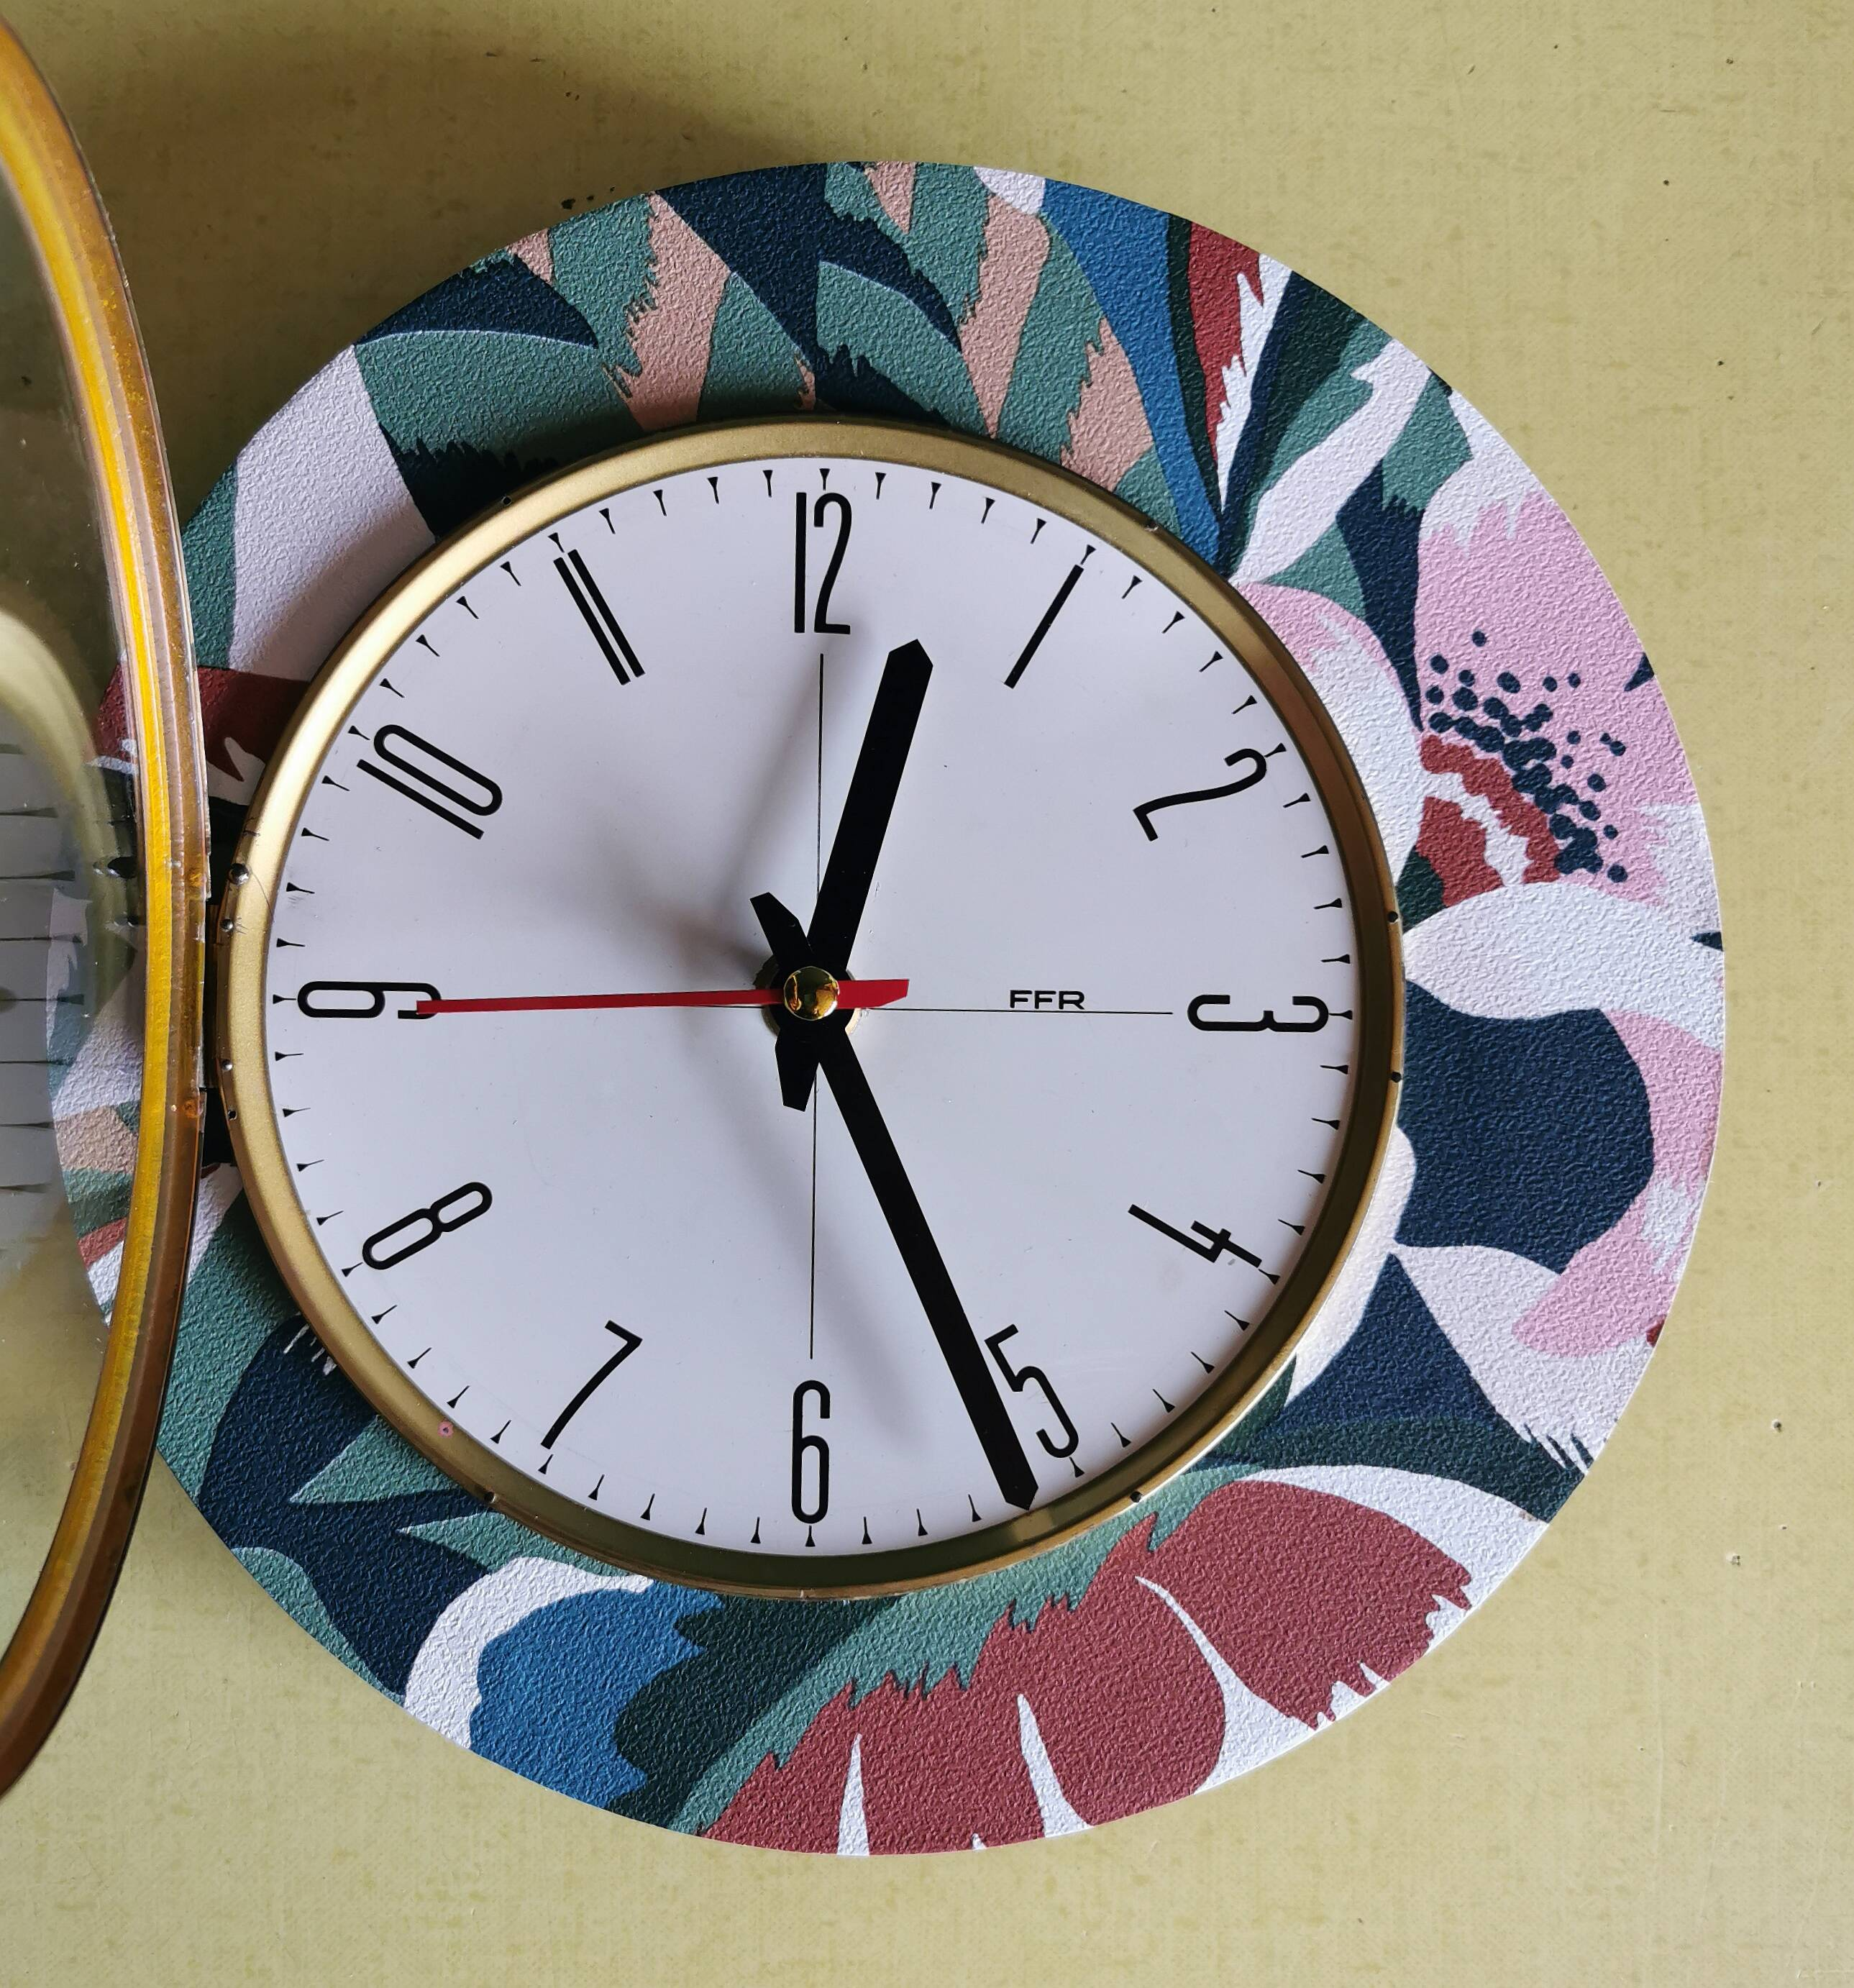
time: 12:25
